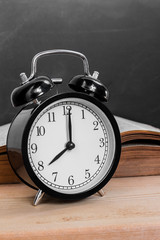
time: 8:00
